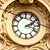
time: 2:18
